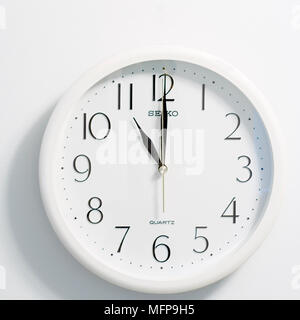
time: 11:00
